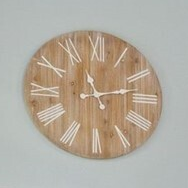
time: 11:13
